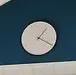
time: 1:19
